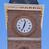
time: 12:34
